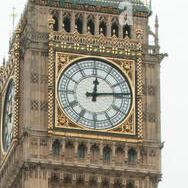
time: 12:13
